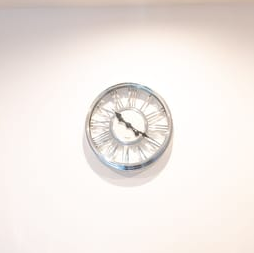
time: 10:19
